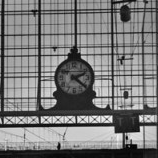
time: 2:21
